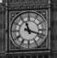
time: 11:18
